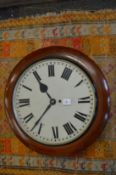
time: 10:36
